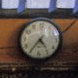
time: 4:35
